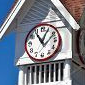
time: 11:04
